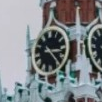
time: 3:23
